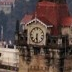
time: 6:29
